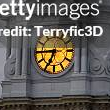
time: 6:44
